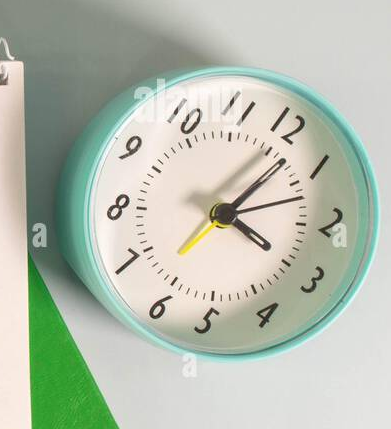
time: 4:07
